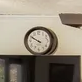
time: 9:50
